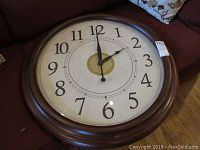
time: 2:00
